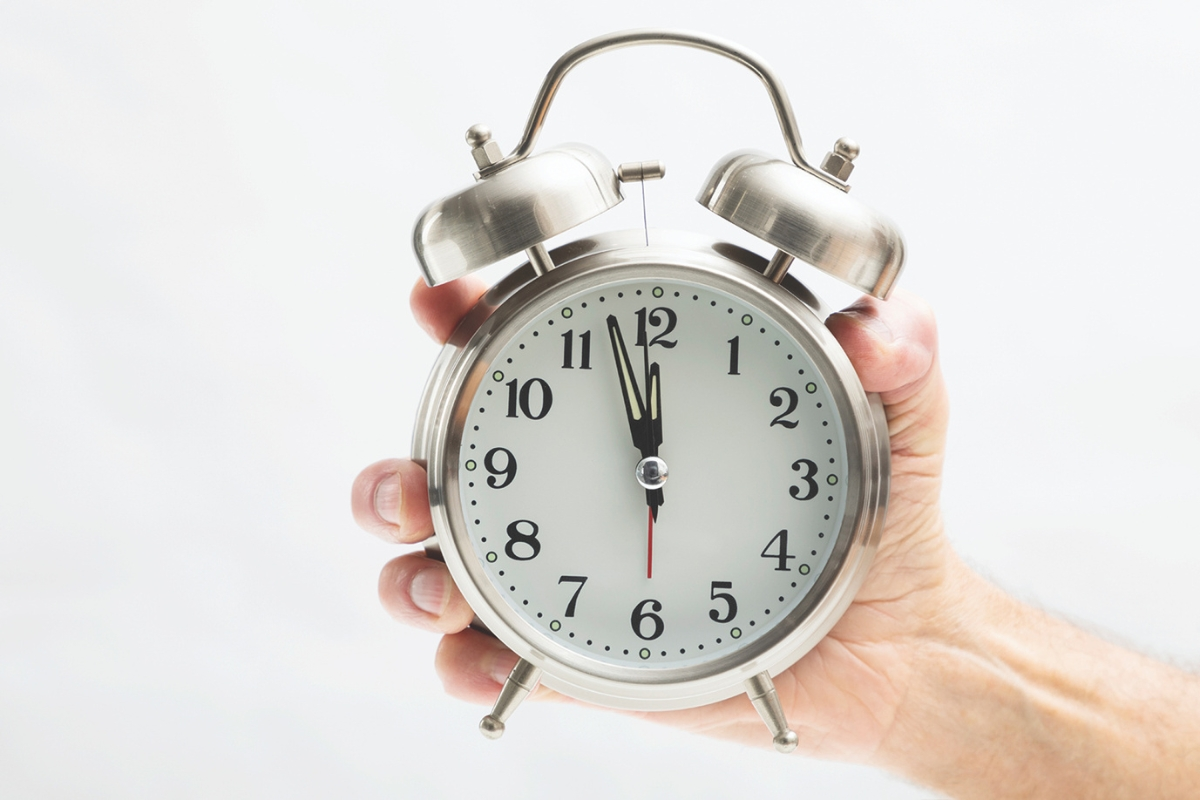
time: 11:57
